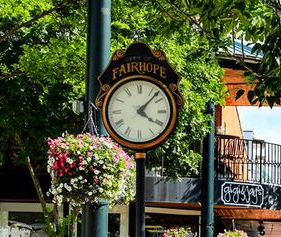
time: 4:07
